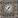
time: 7:36
